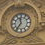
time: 11:36
